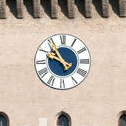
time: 9:53
